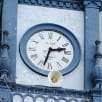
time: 2:33
